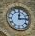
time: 12:13
